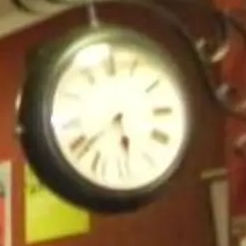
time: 5:38
